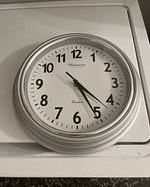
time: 4:25
